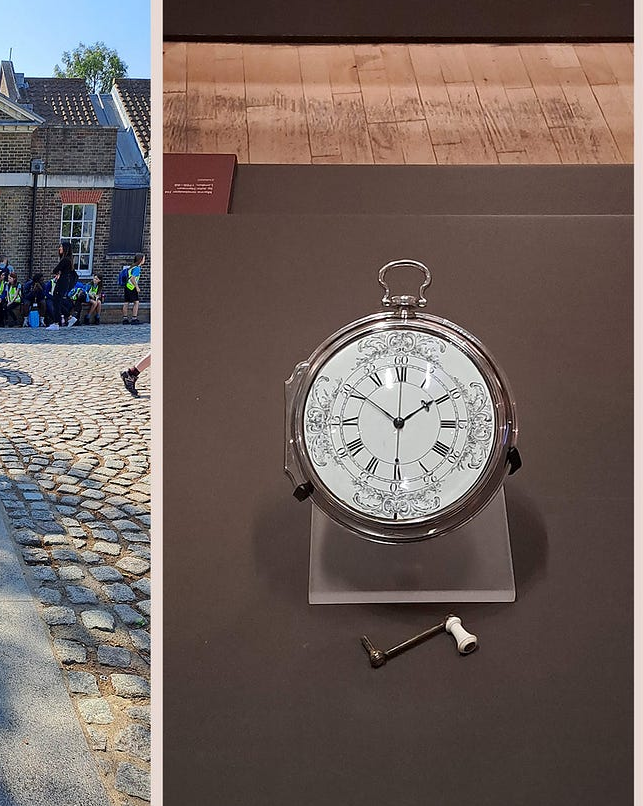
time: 1:50
